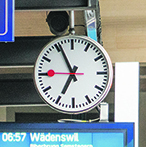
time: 6:55
